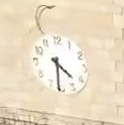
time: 4:31
